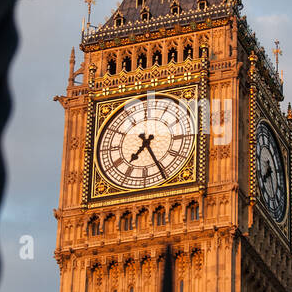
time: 7:25
